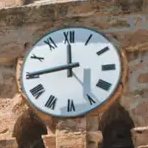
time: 11:44
